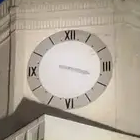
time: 3:18
